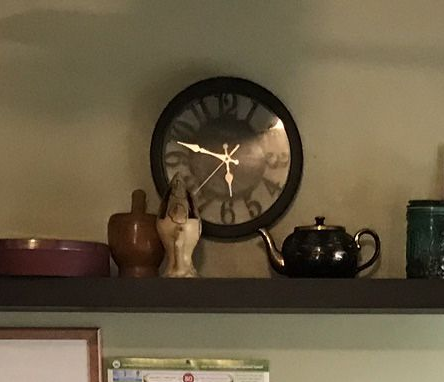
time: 5:47
